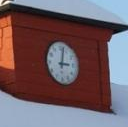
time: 3:02
